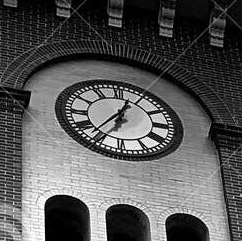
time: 12:36
